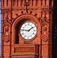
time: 1:46
